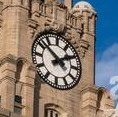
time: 1:51
